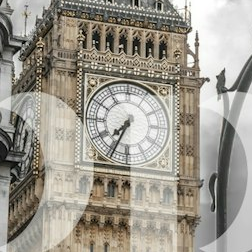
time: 7:34
